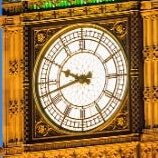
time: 9:42
